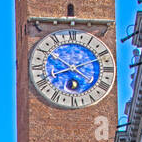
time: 8:11
